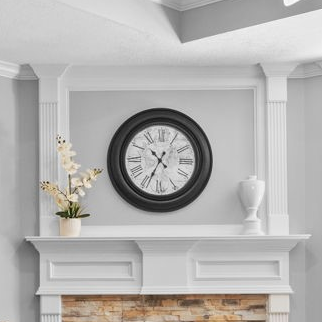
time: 10:34
